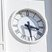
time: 3:28
